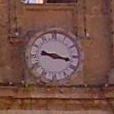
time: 9:17
